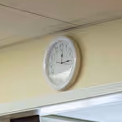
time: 12:14
